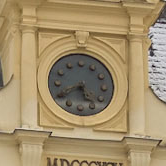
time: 5:40
